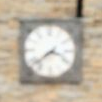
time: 3:38
